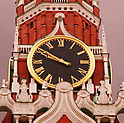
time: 9:50
